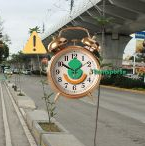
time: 1:50
